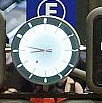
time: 8:47
